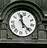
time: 11:21
